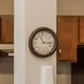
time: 11:16
